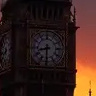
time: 8:30
